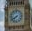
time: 7:40
